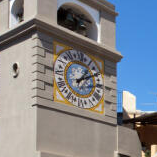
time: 1:09
